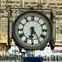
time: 6:24
